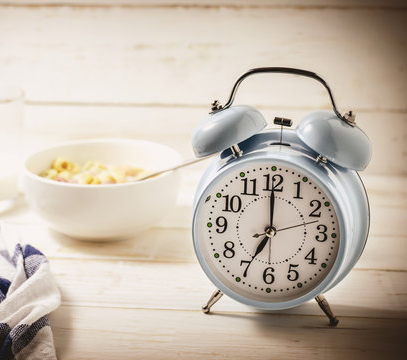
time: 7:00
